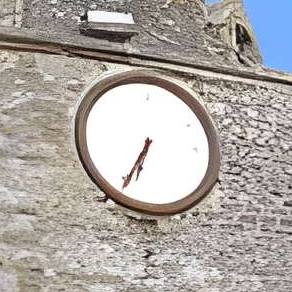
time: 6:34
